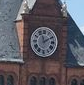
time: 11:10
